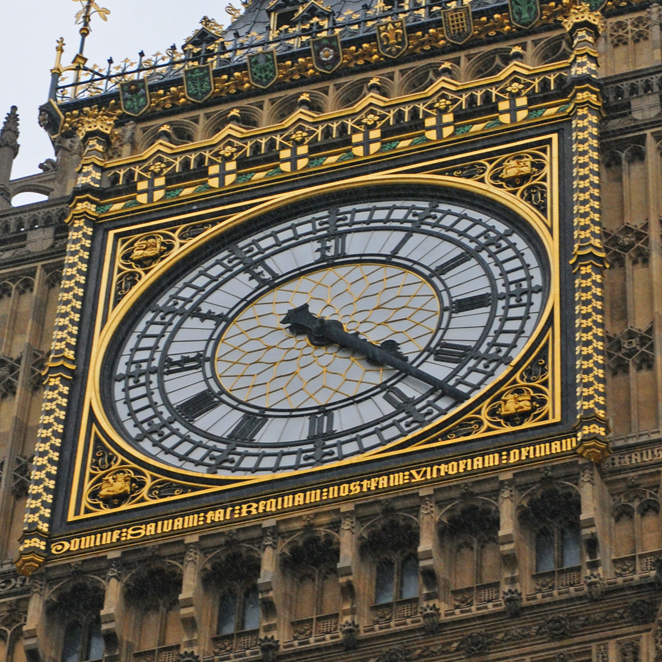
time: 4:22
